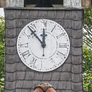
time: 11:53
